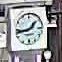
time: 1:43
